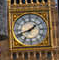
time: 1:41
